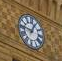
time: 12:46
